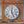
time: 12:26
